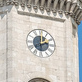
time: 2:00
